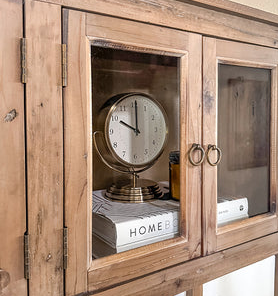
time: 10:00
